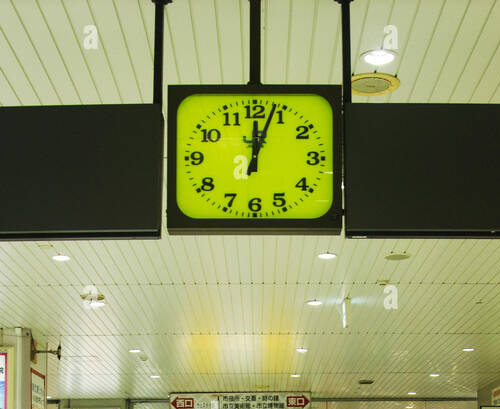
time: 12:03
